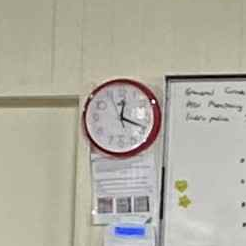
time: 12:18
